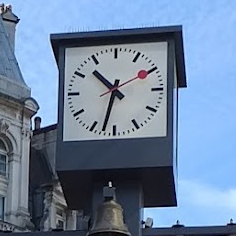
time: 10:32
